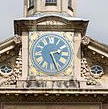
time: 2:26
